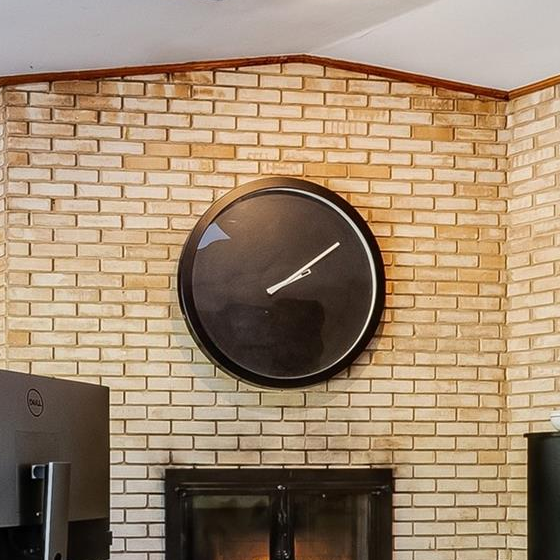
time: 2:09
